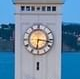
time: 6:16
